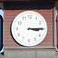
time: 3:15
